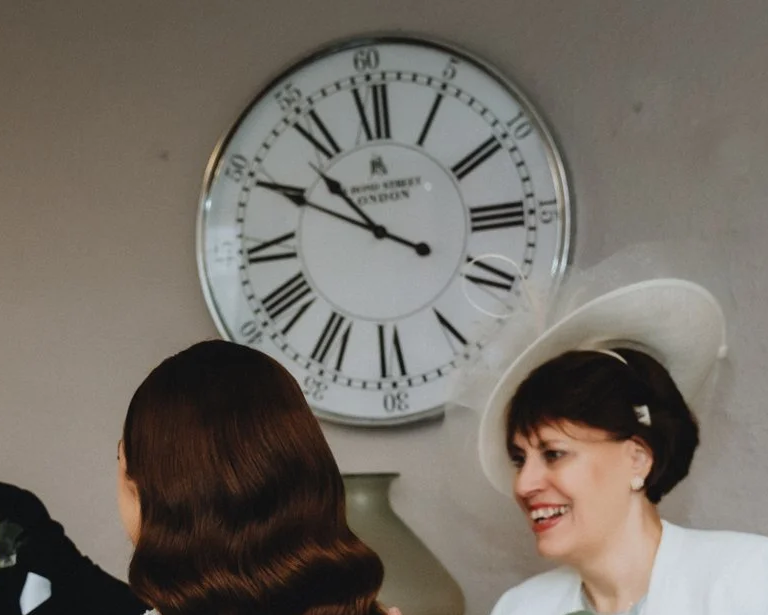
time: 10:49
